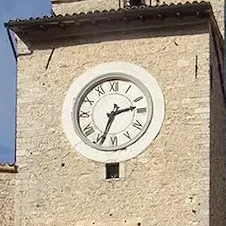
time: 2:33
